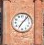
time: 7:07
